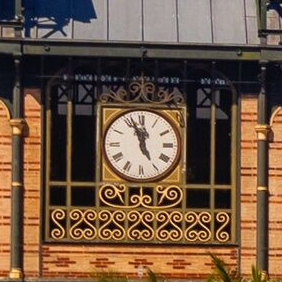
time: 11:56
